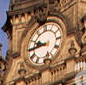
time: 9:44
